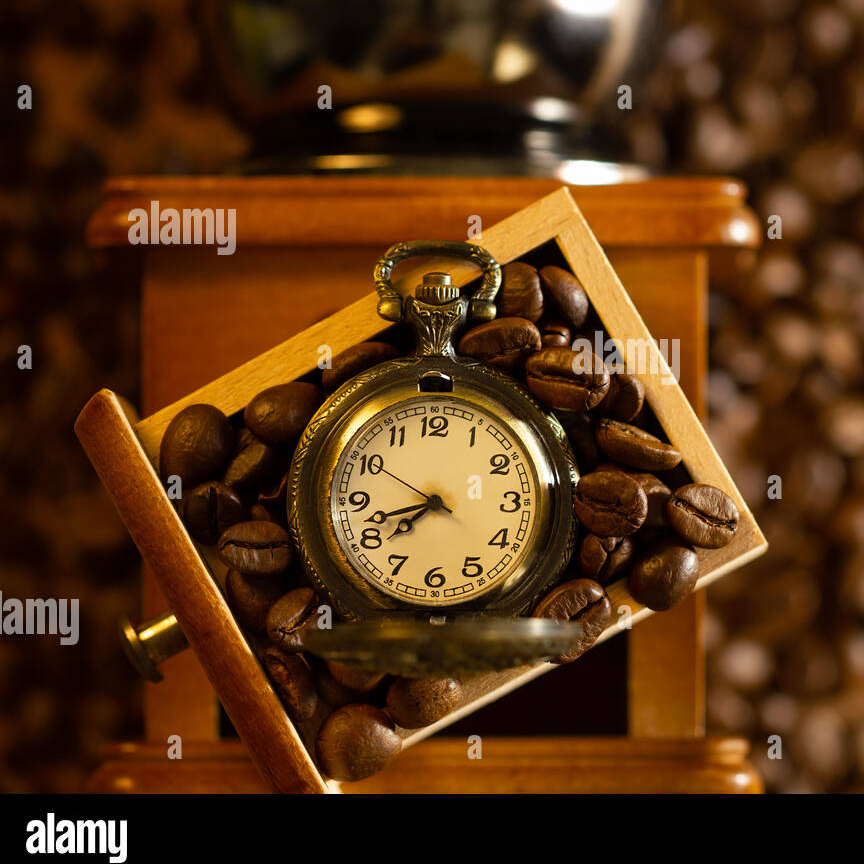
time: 7:42
